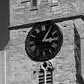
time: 3:05
